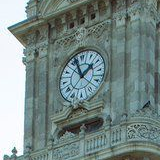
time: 1:56
